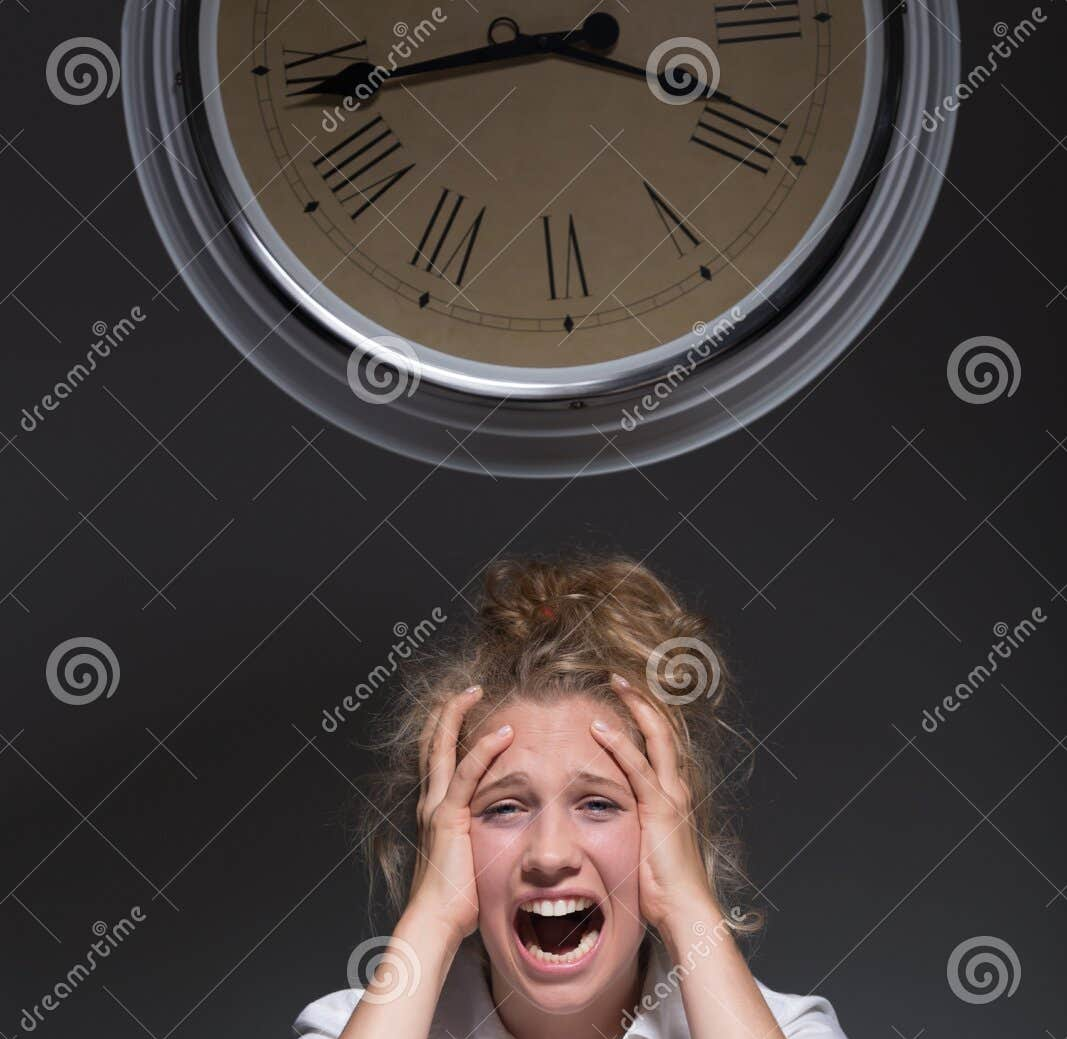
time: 3:43
